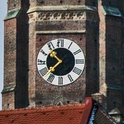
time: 10:37
